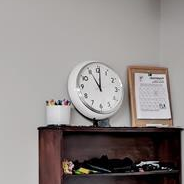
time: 11:00
